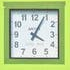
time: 4:04
